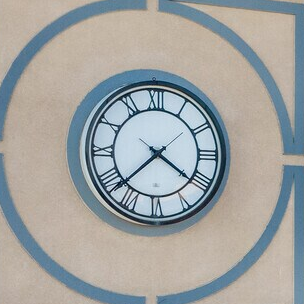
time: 4:21
